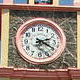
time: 2:19
